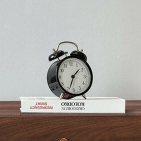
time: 1:33
